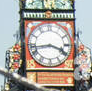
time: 3:43
